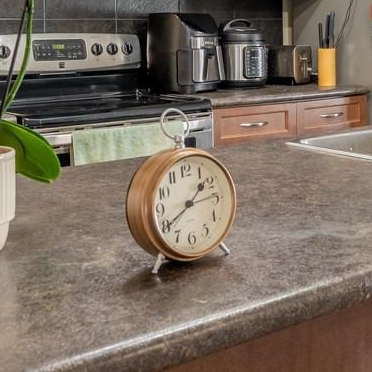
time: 1:39
